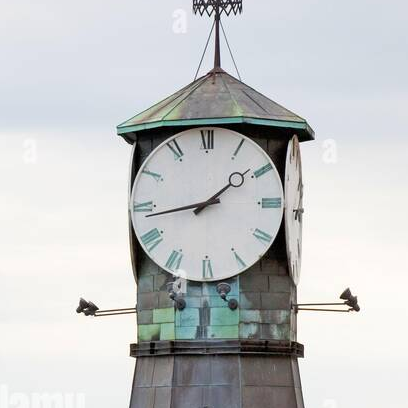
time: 1:43
